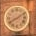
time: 8:09
